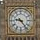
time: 9:23
